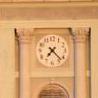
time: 7:22
